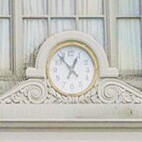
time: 12:53
